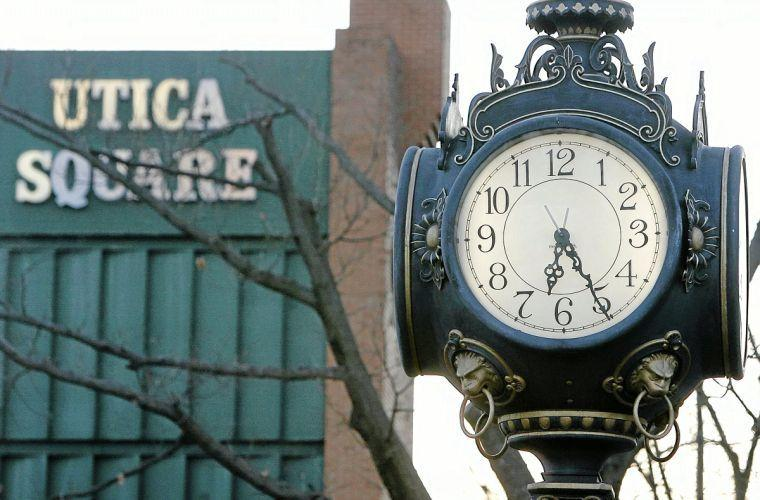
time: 6:25
